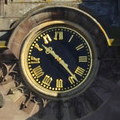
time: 10:23
